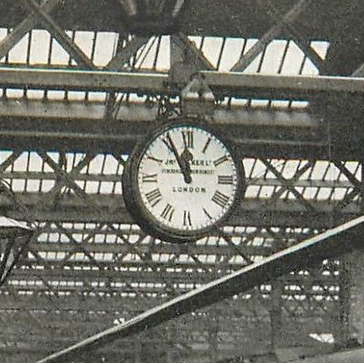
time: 11:55
